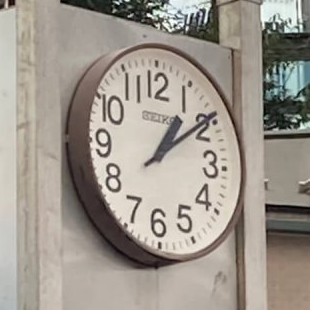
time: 1:09
